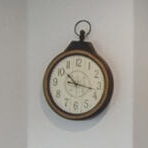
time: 10:17
